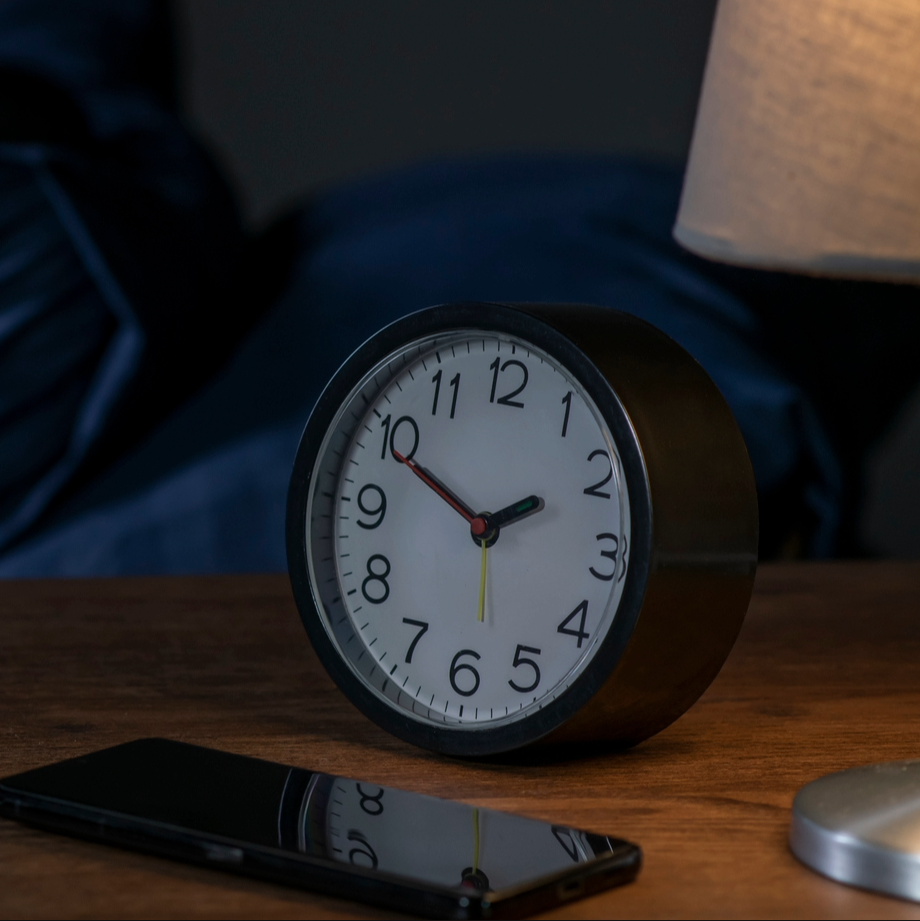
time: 1:49
